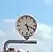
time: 5:18
